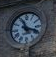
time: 11:18
